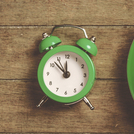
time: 11:52
